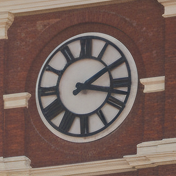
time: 3:09
